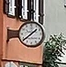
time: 1:38
